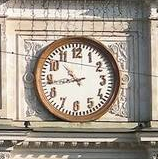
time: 10:43
